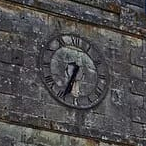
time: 6:34
